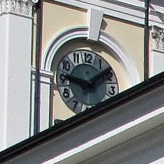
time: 1:46
